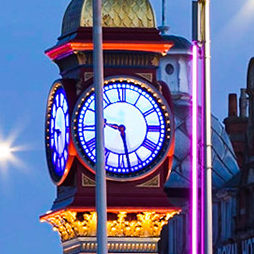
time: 9:28
